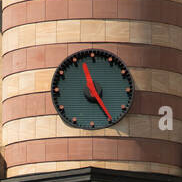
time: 11:24
